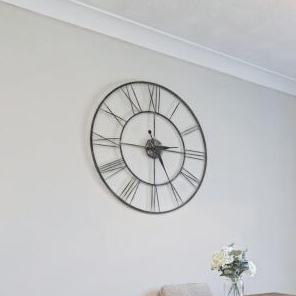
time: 2:44
